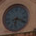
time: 6:18
